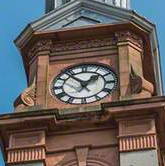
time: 1:53
